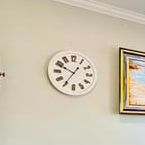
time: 9:35
